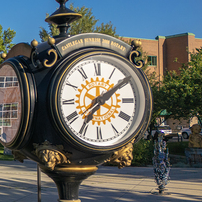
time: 7:09
